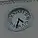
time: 4:33
